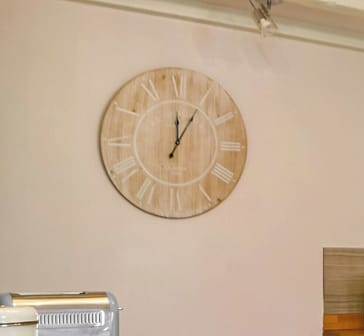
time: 12:05
